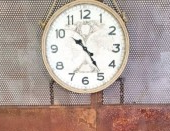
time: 10:24
